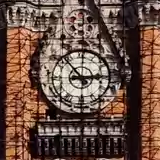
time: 2:53
